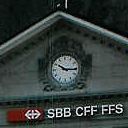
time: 10:15
